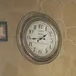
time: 1:43
